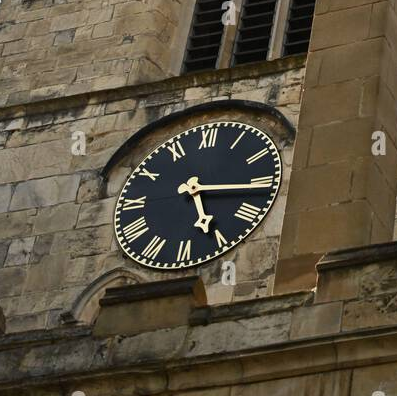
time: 5:15
